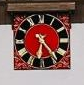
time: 6:23
